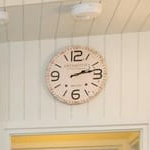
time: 2:12
